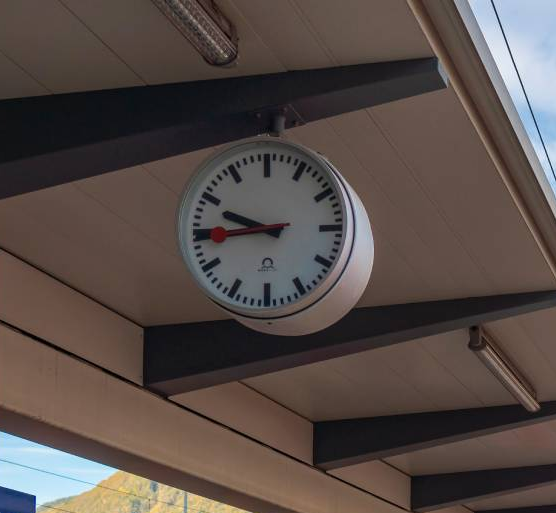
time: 9:44
